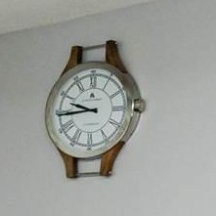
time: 9:44
